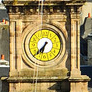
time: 6:37
